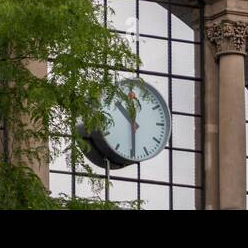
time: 12:29
